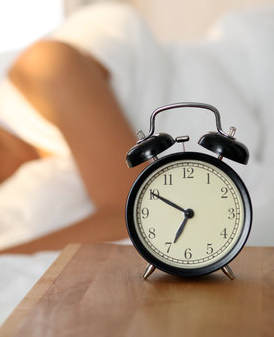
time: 6:50
